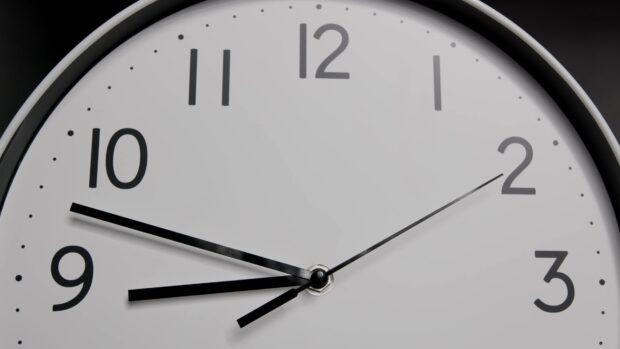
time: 8:48
